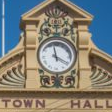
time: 3:58
